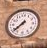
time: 7:37
